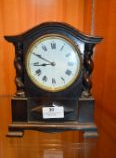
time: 8:50
